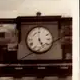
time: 4:59
